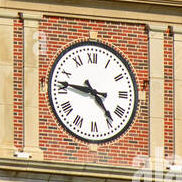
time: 4:46
